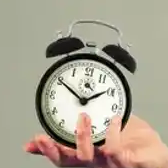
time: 1:50
